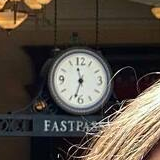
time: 11:32
